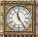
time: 11:24
